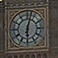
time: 6:02
